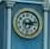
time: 3:12
